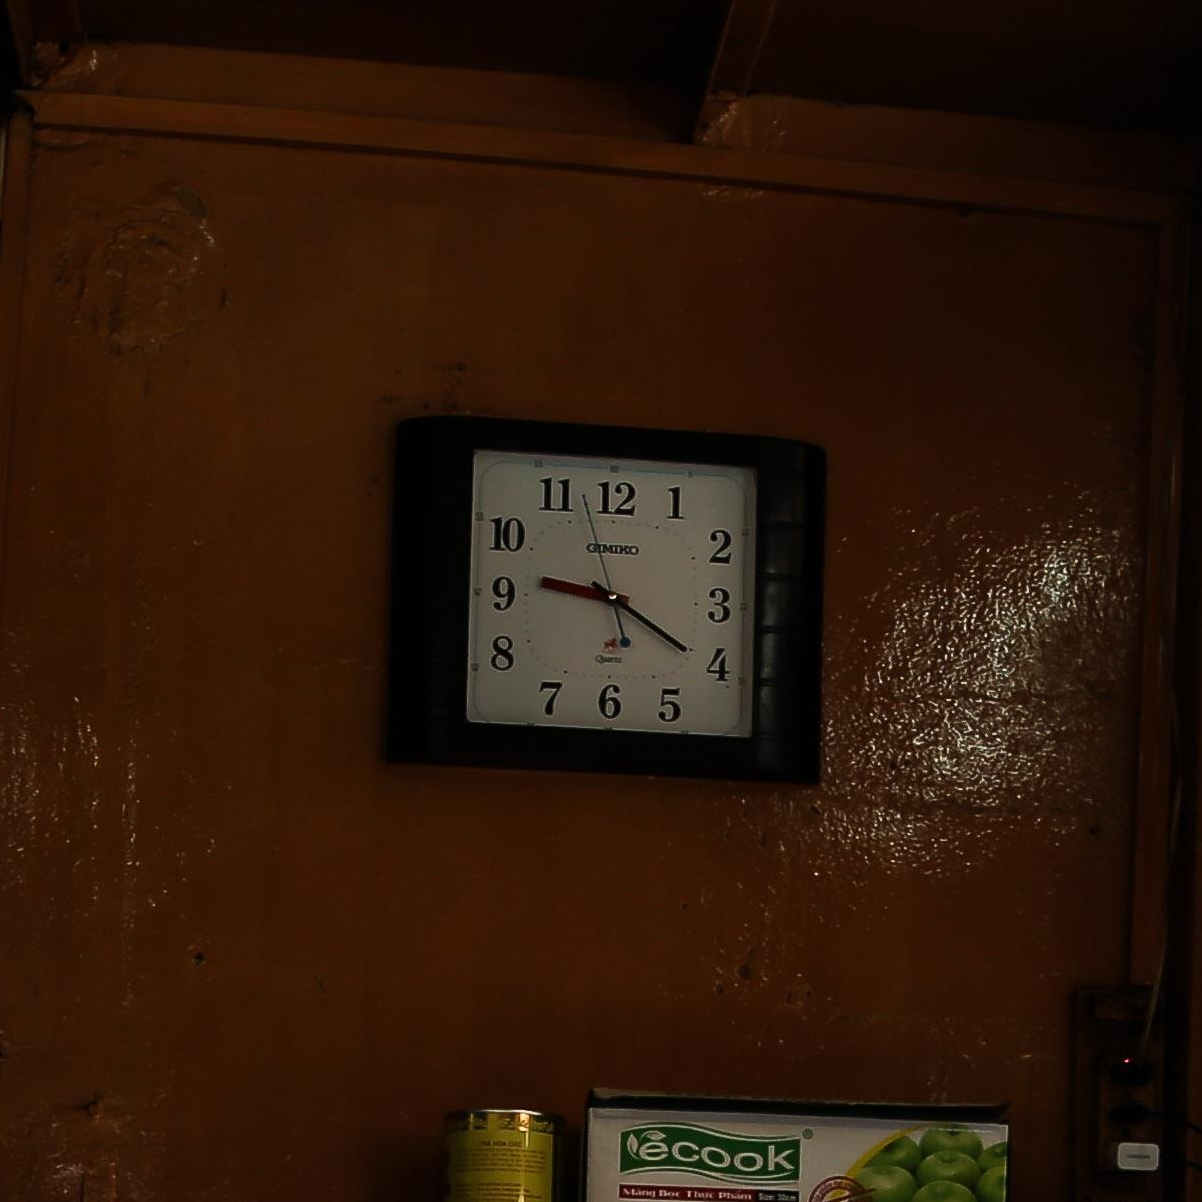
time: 9:20
